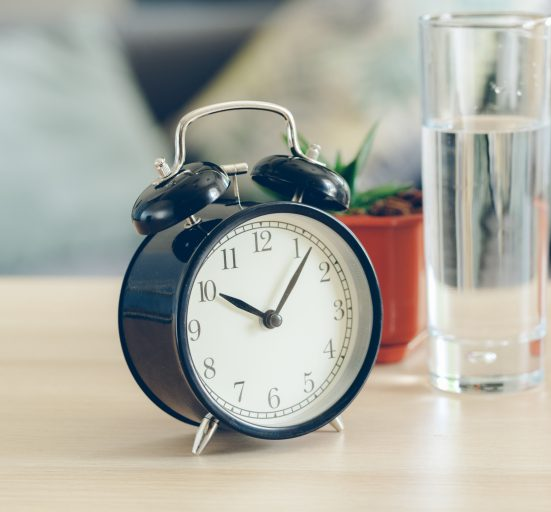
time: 10:06
